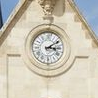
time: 3:10
